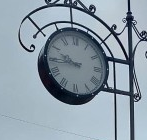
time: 9:44
